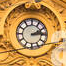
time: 2:13
